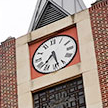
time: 7:28
